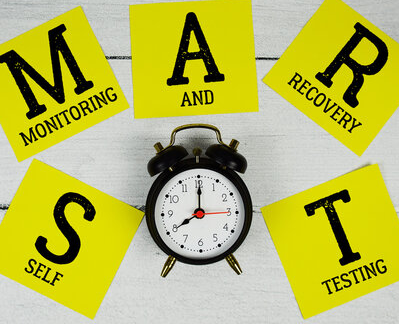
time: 8:00
